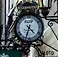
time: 4:33
